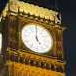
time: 5:00
